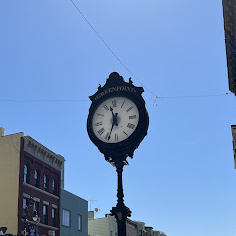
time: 11:34
